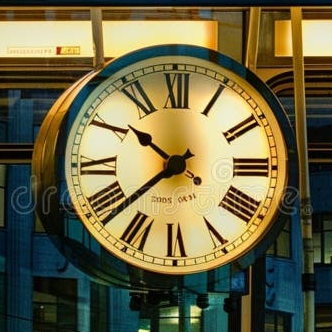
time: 10:38
